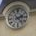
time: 2:23
